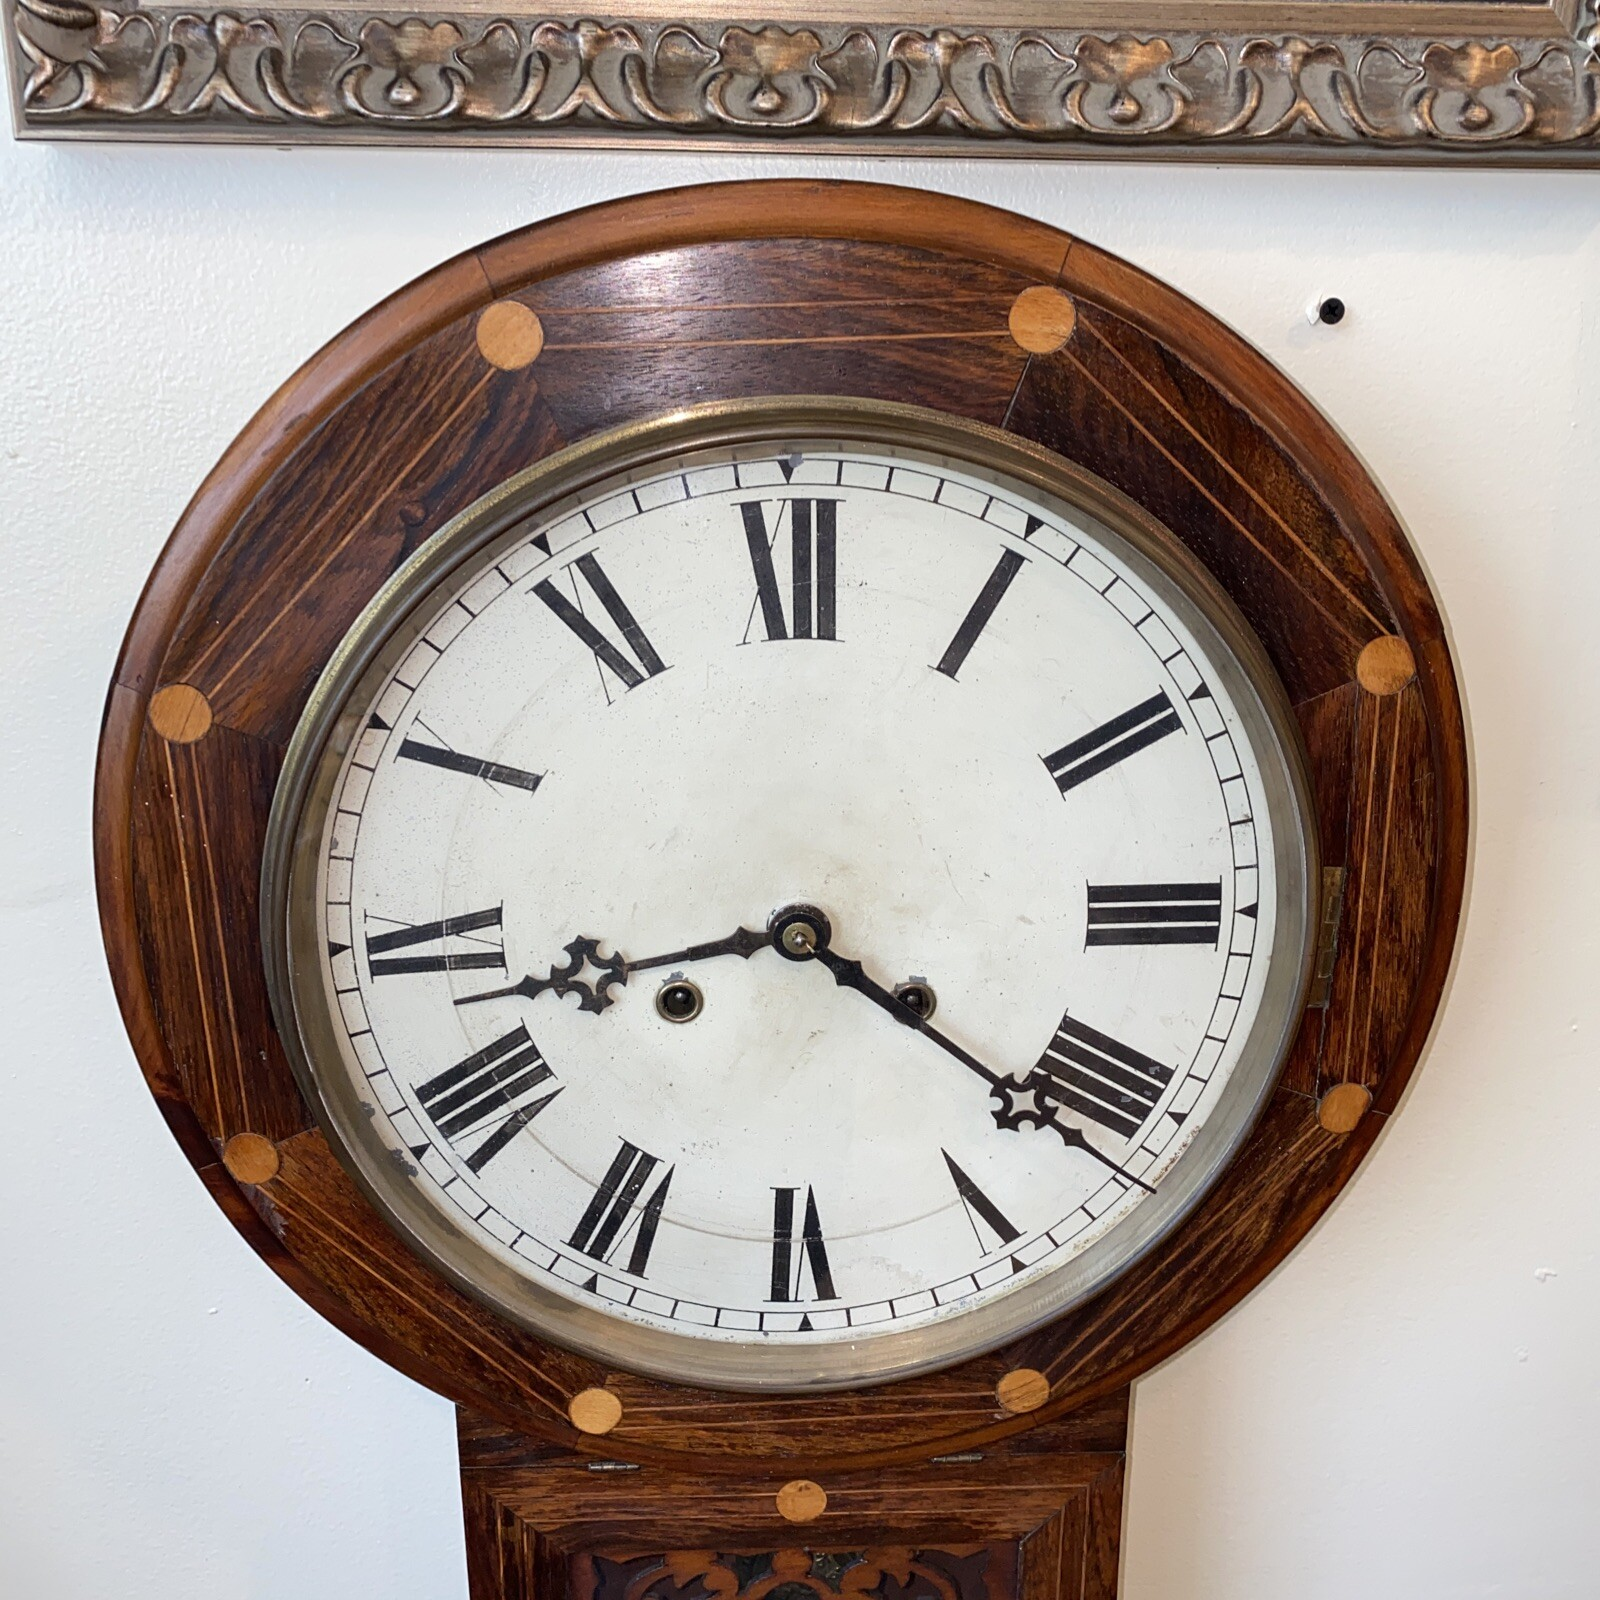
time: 8:21
